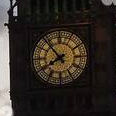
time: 7:52
